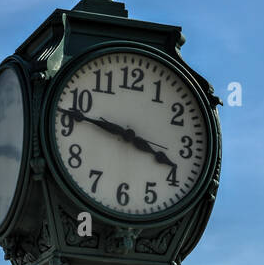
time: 3:47
